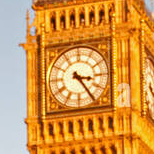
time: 3:24
